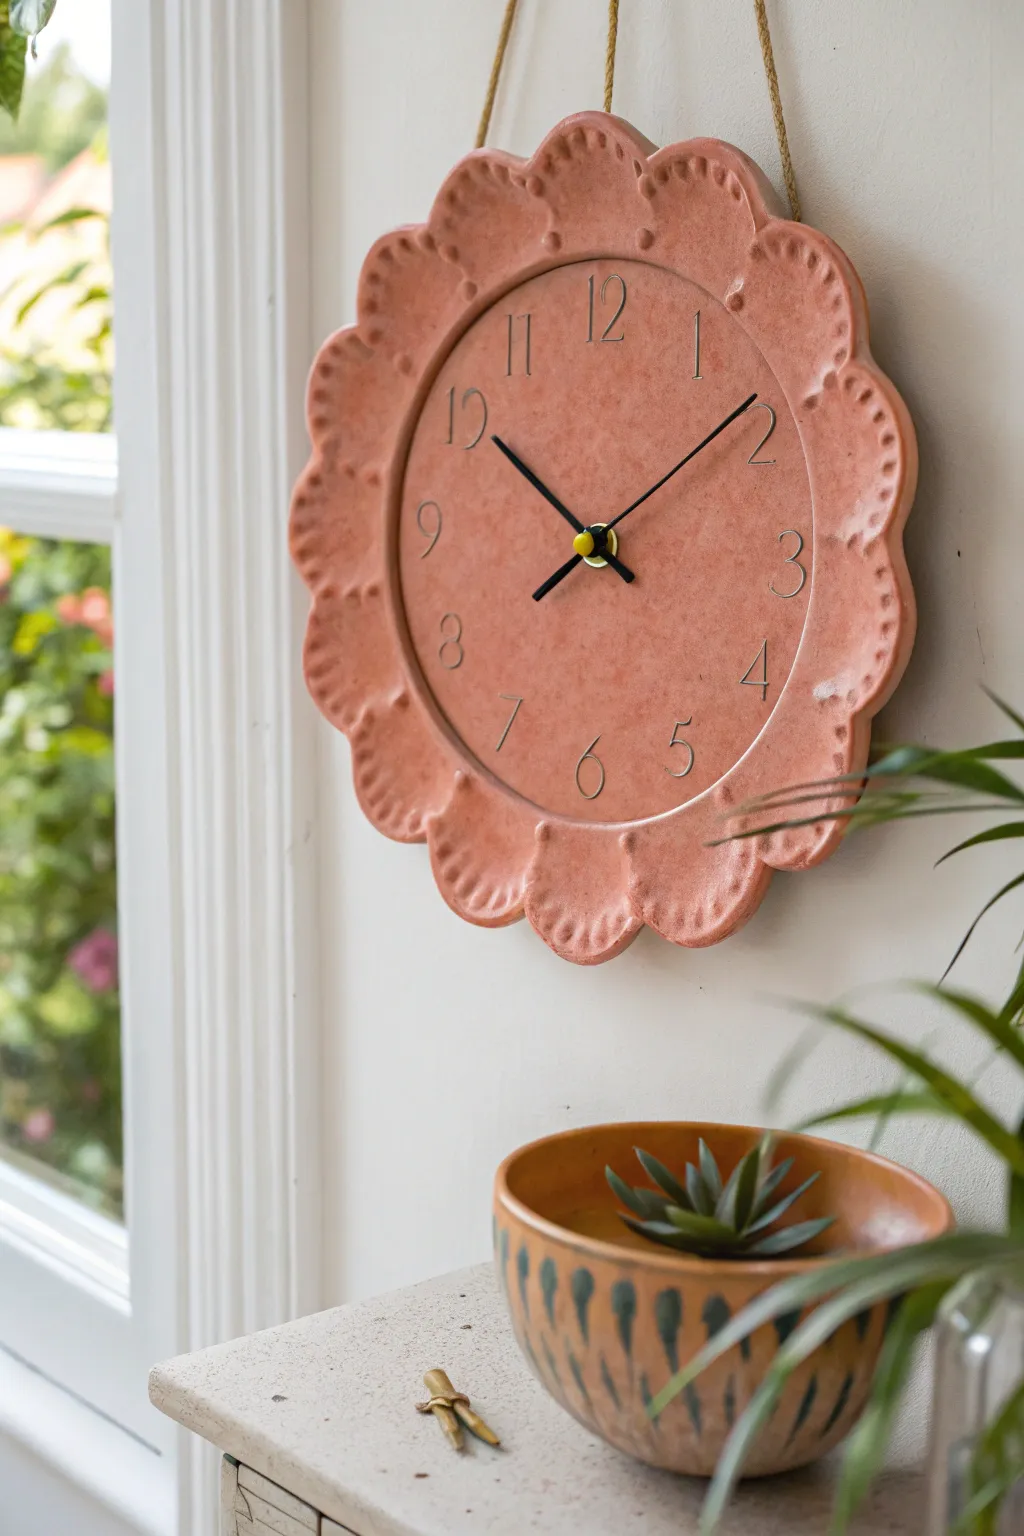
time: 10:09
